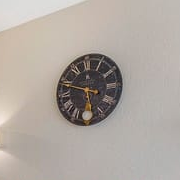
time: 5:48
